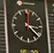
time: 12:22
